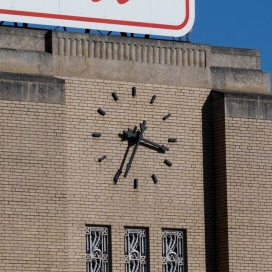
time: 3:34
